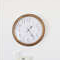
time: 1:24
